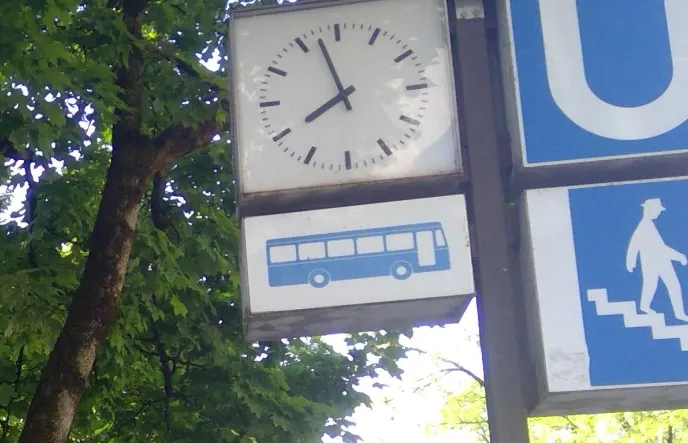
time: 7:57
